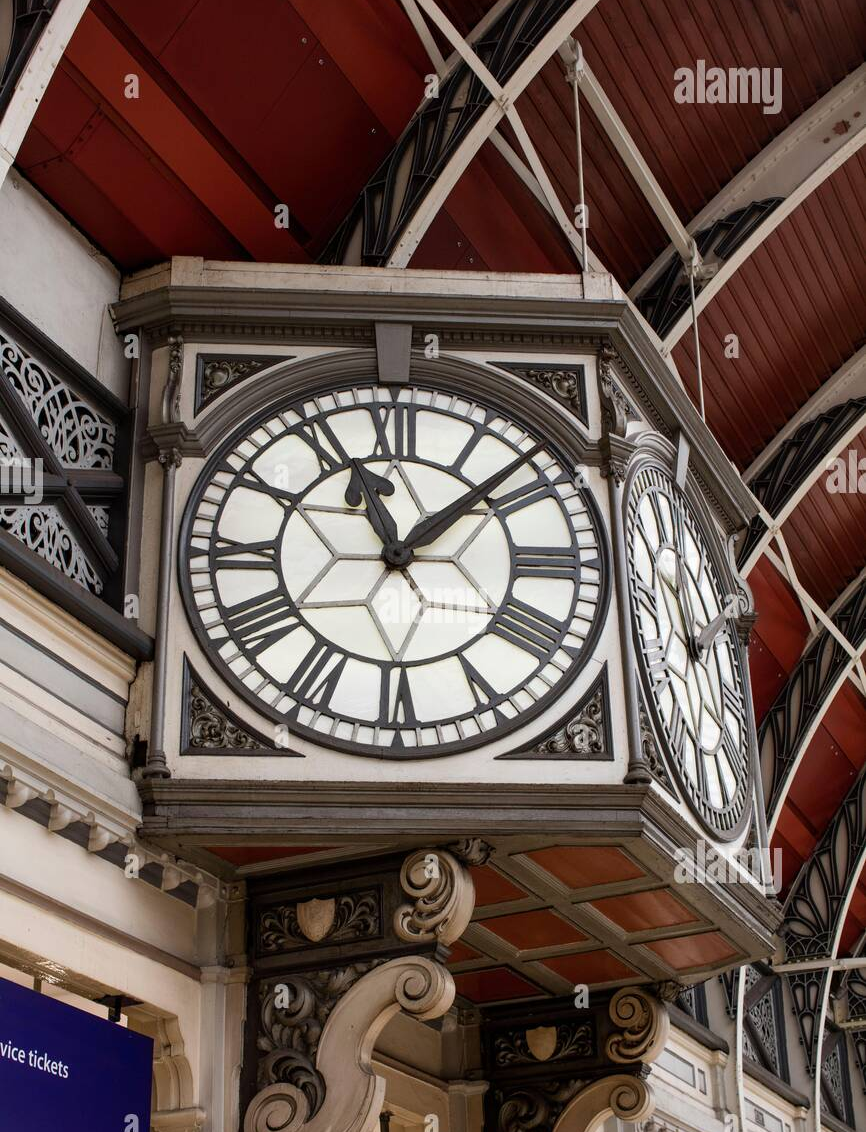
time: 11:08
